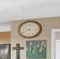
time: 8:16
